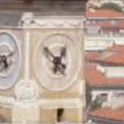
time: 12:52
